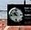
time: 10:42
